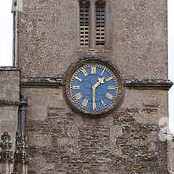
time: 1:29
